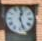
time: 12:26
